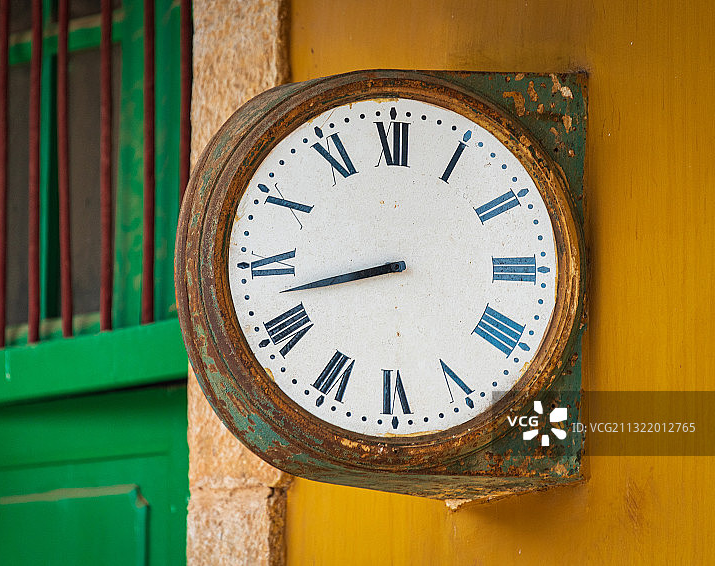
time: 8:42
